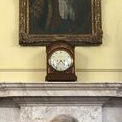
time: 4:36
